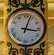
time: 3:03
